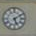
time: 5:09
